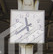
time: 11:39
